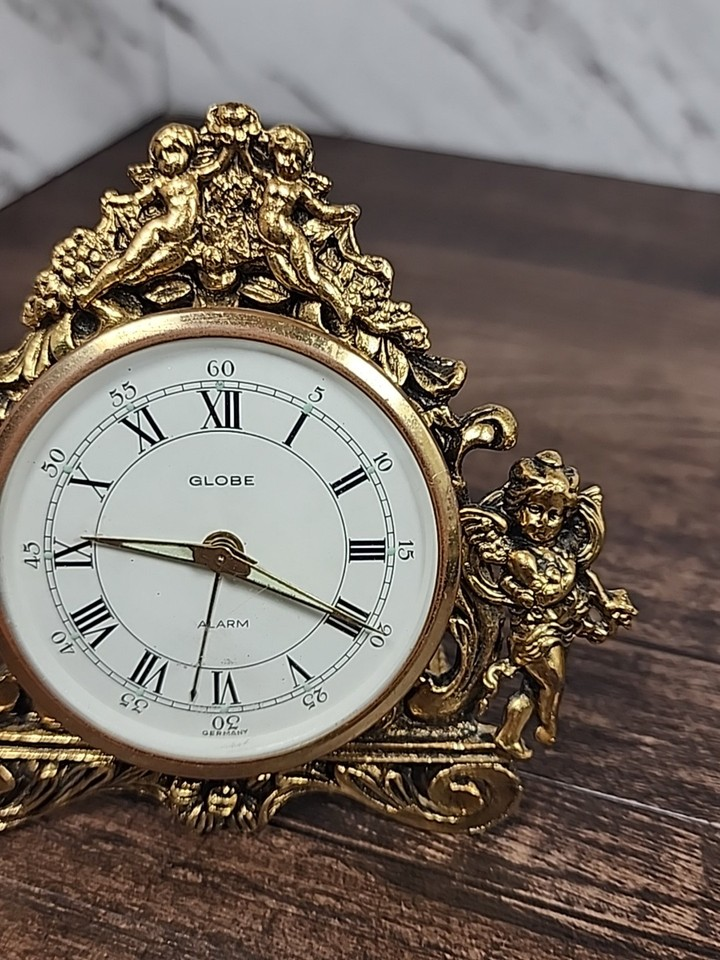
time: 3:46
